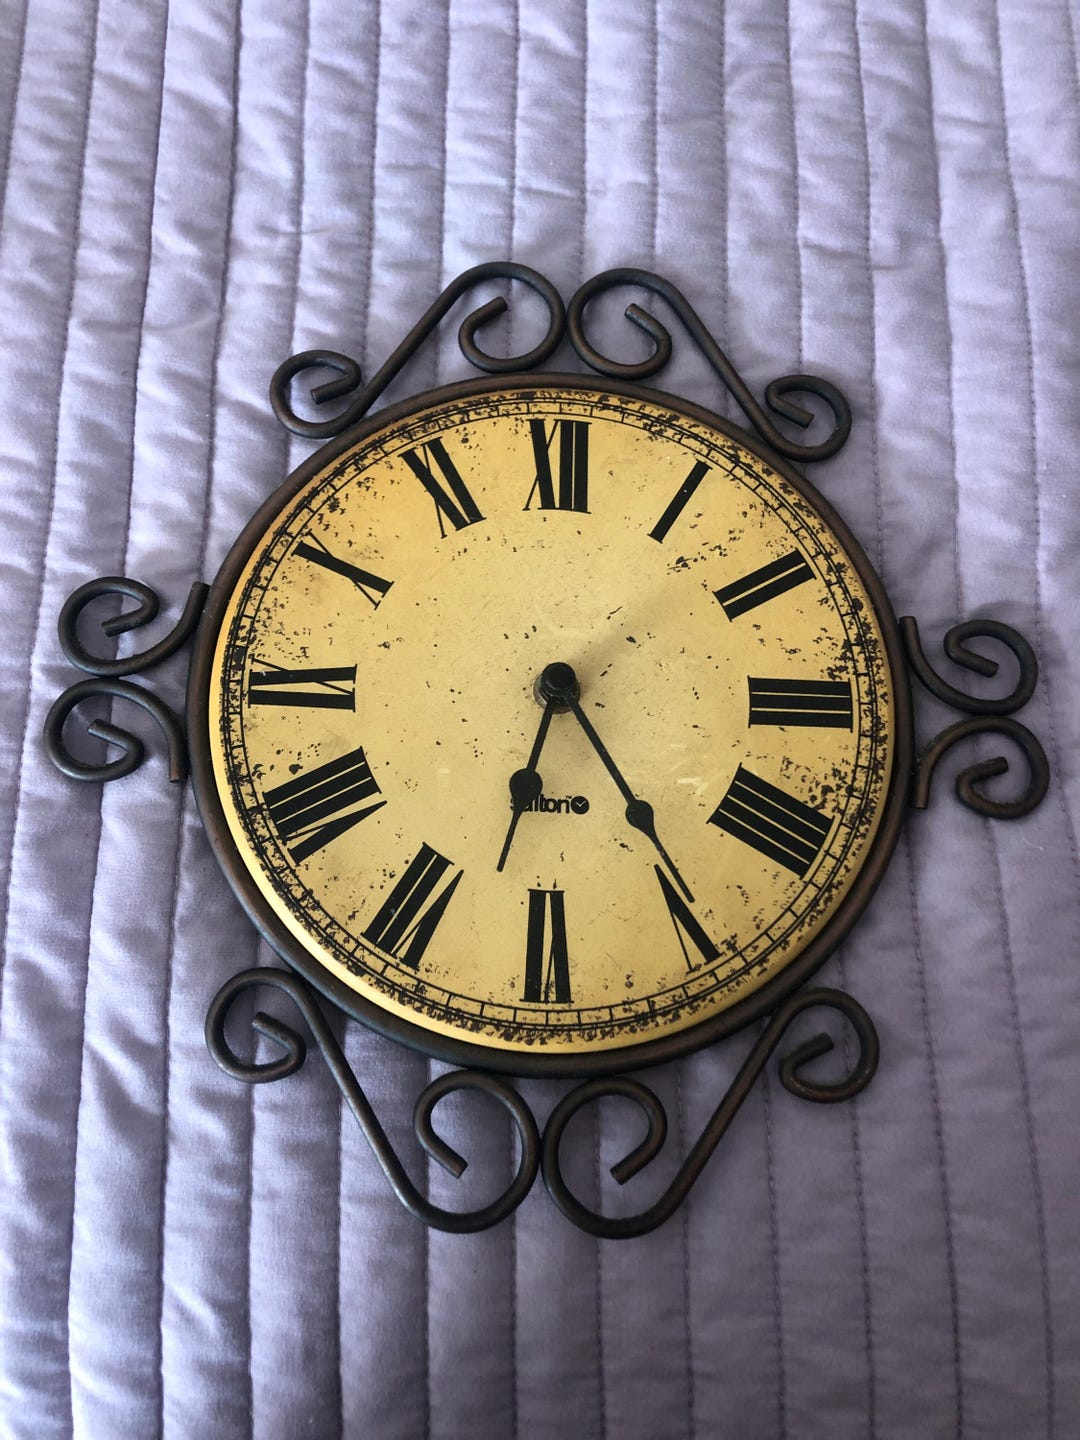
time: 6:24
